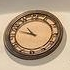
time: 10:48
